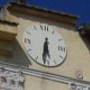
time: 5:31
